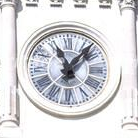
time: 11:07
